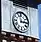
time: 2:58
